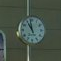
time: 10:58
